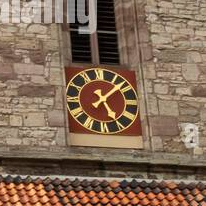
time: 5:08
